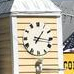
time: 1:16
